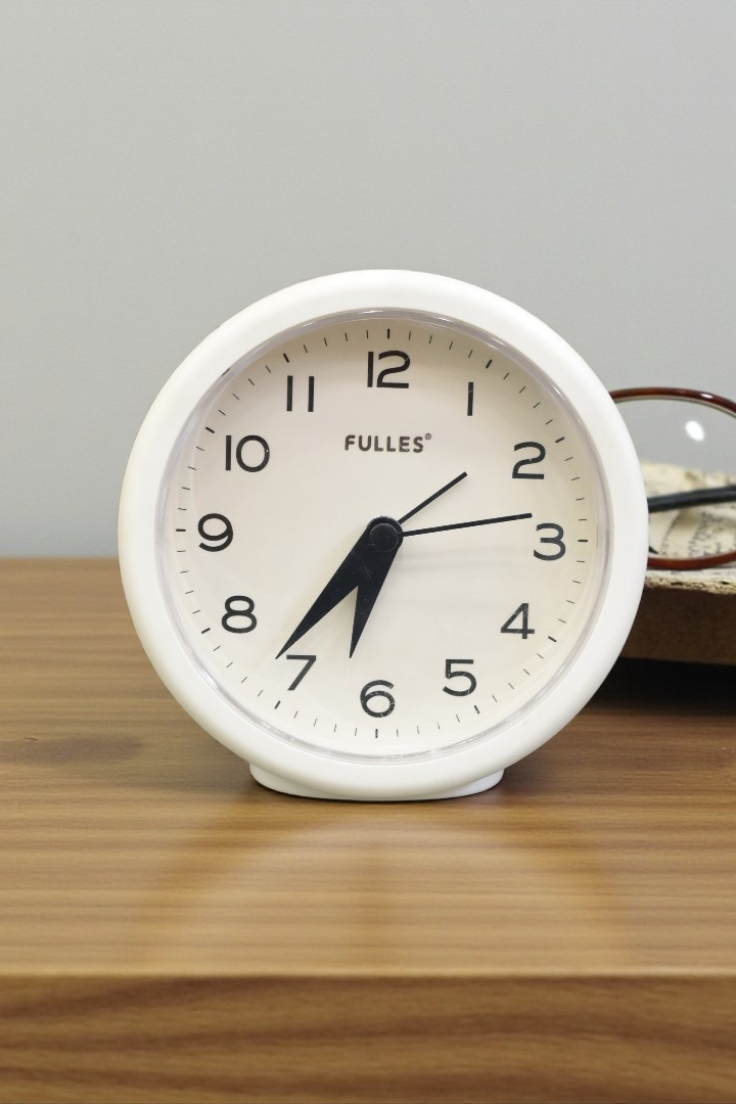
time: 6:36
